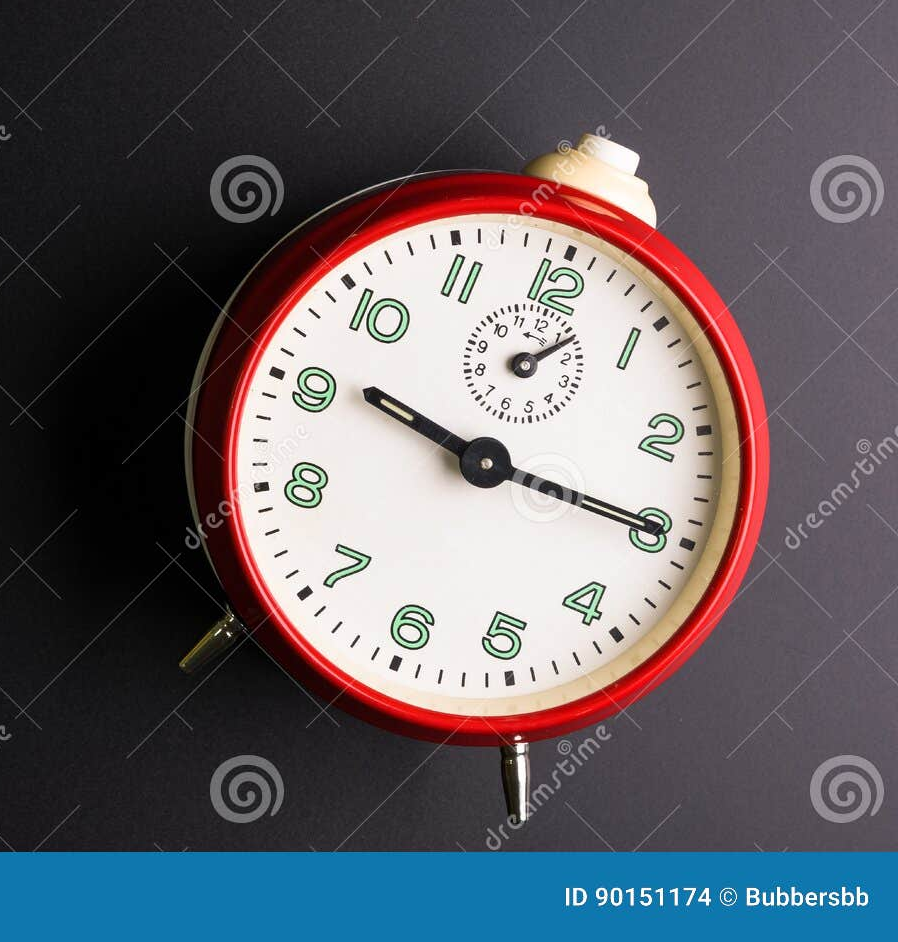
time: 10:19
